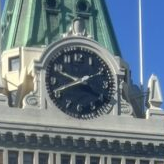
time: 9:41
